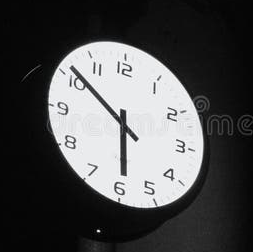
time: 5:51
